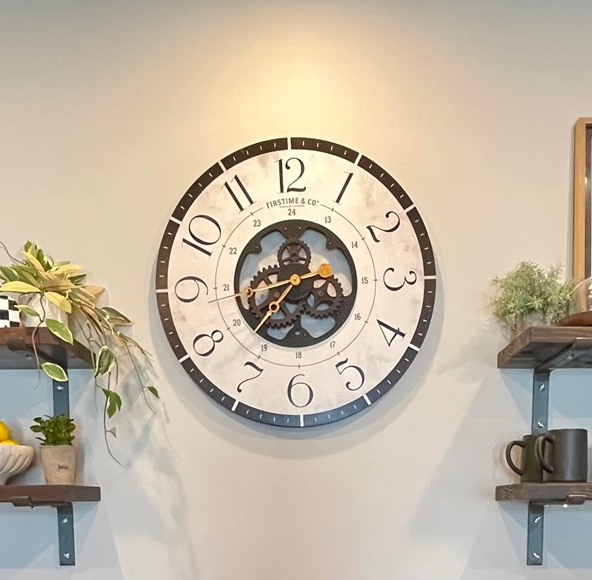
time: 3:37
